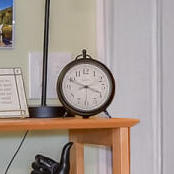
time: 3:48
